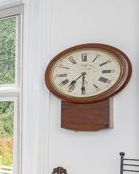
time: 7:30
